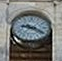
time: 9:20
